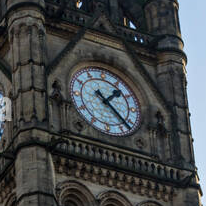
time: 1:22
